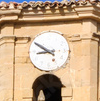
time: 8:50
